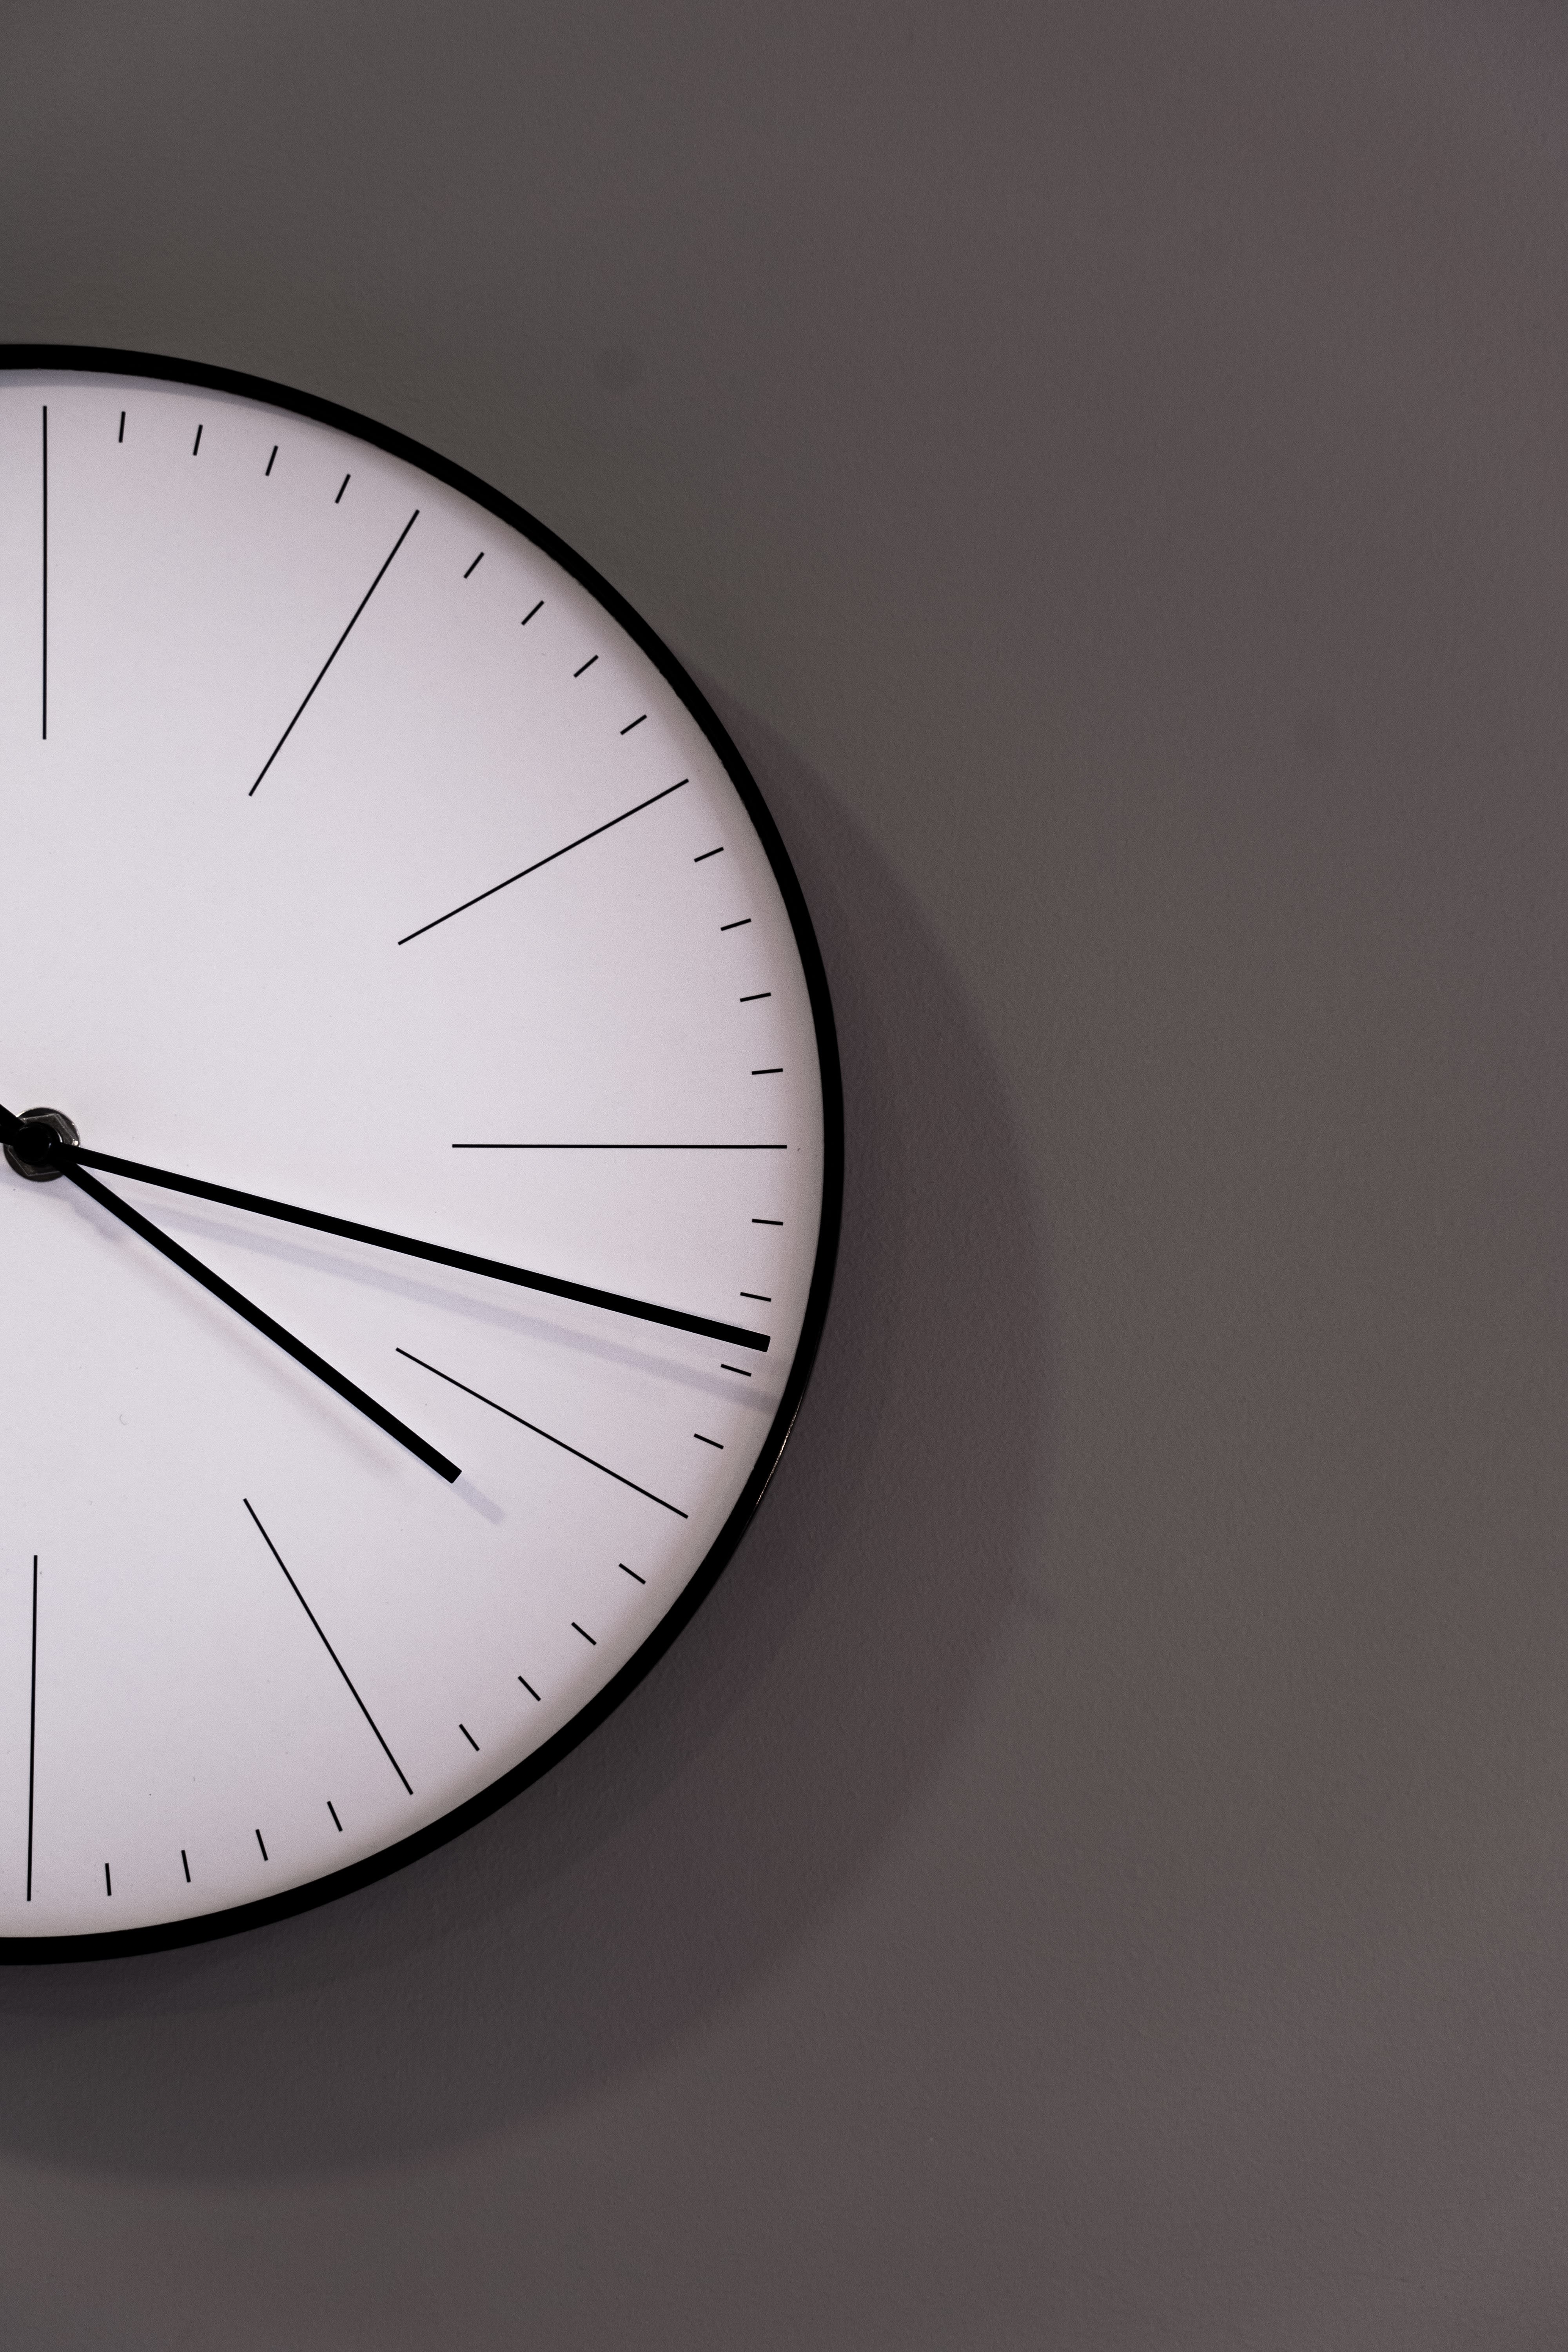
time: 4:17
